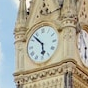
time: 5:52
